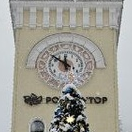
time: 11:50
